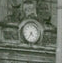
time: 4:35
